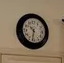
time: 10:32
